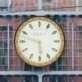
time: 5:47
